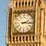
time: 2:15
